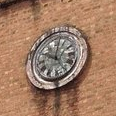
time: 10:00
